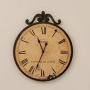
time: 11:33
